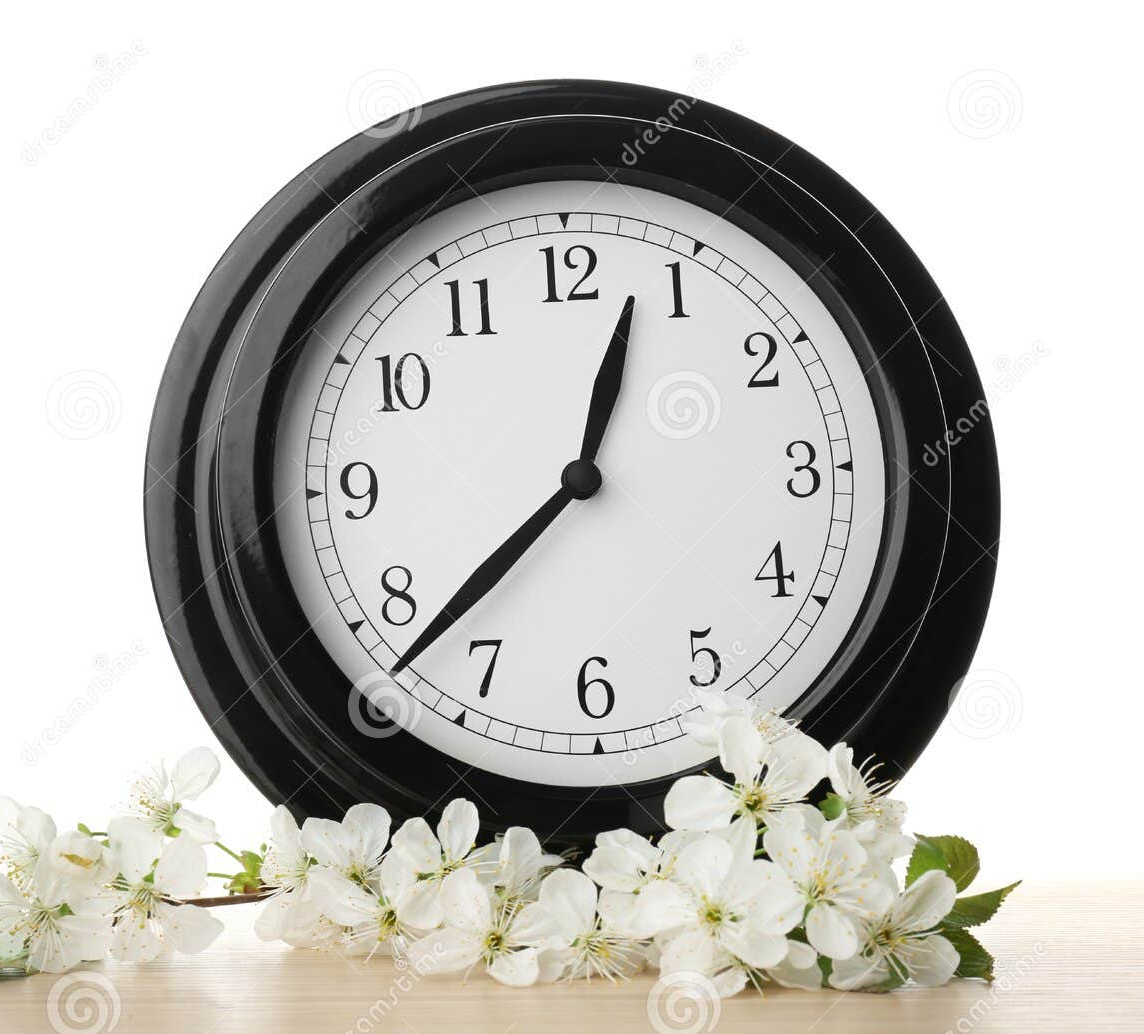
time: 12:37
